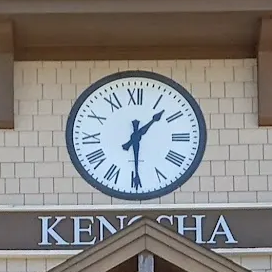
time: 1:29
